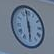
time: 5:58
